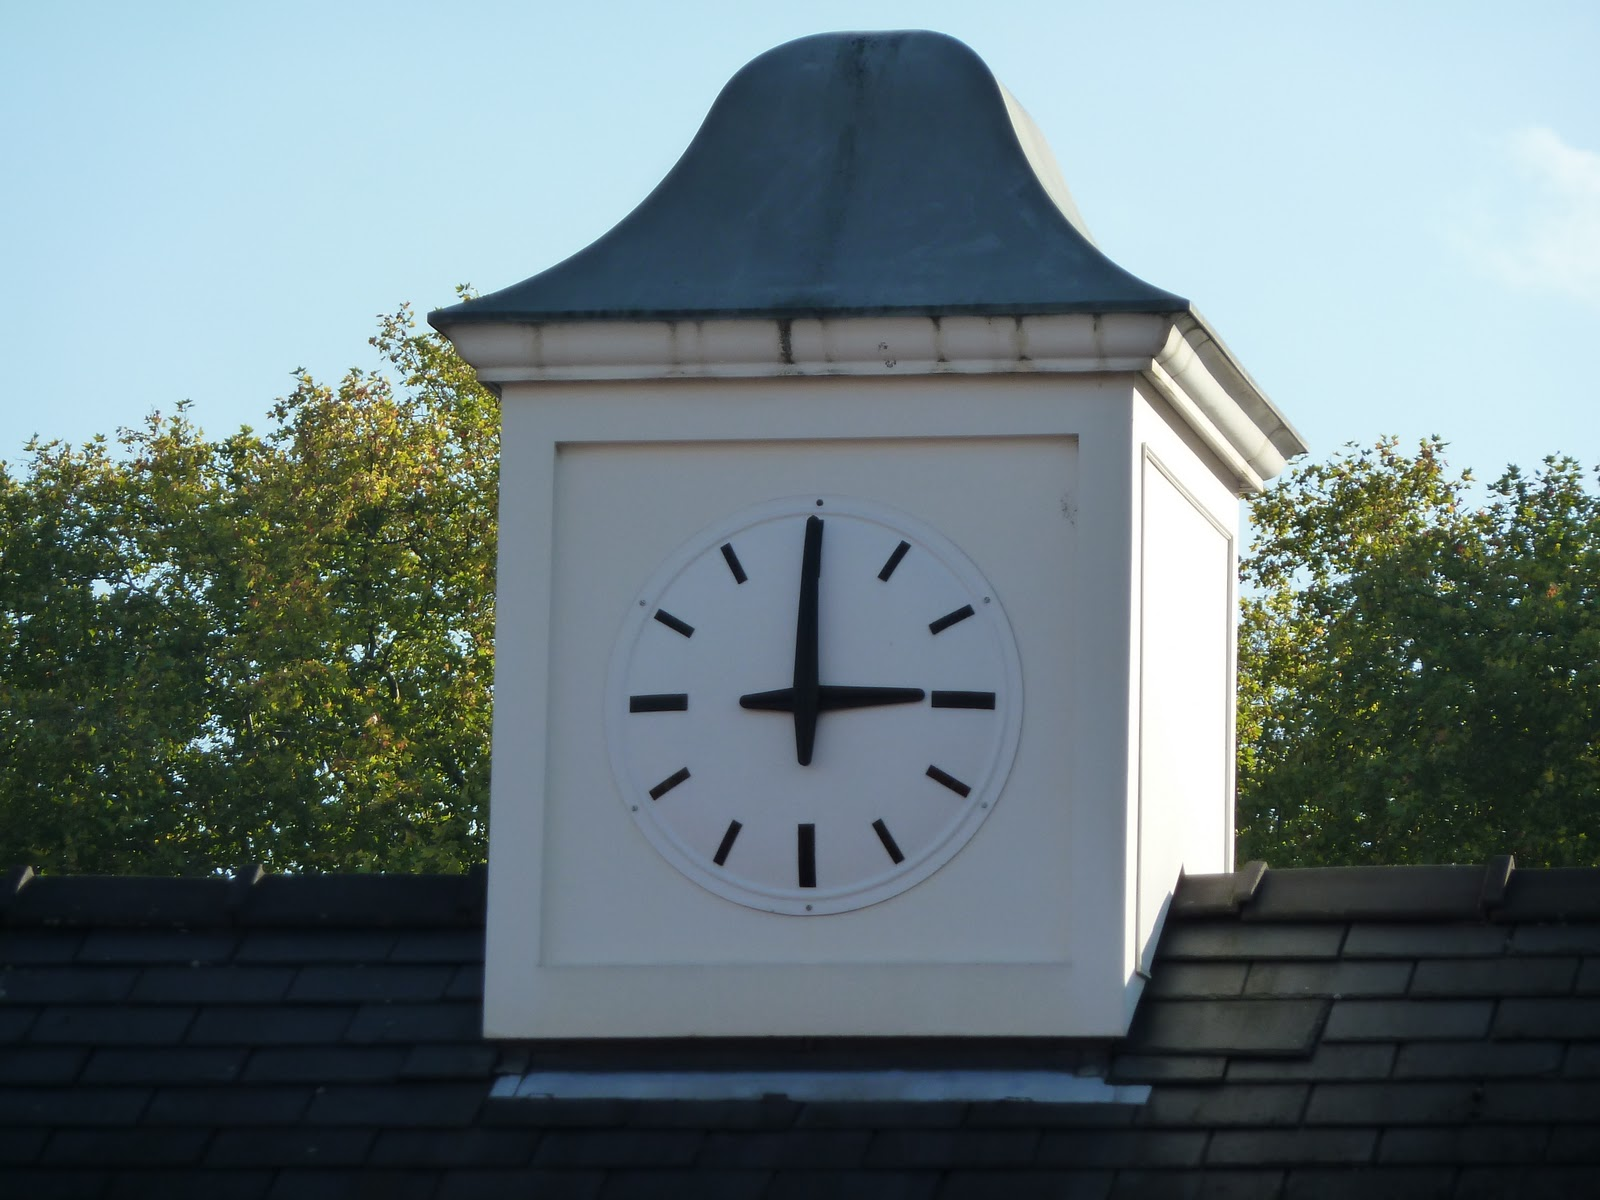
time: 3:00
